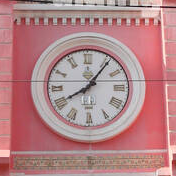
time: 8:06
